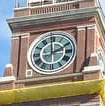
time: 1:59
